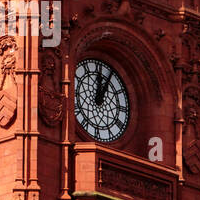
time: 12:04
